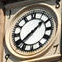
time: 1:38
